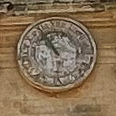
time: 10:55
